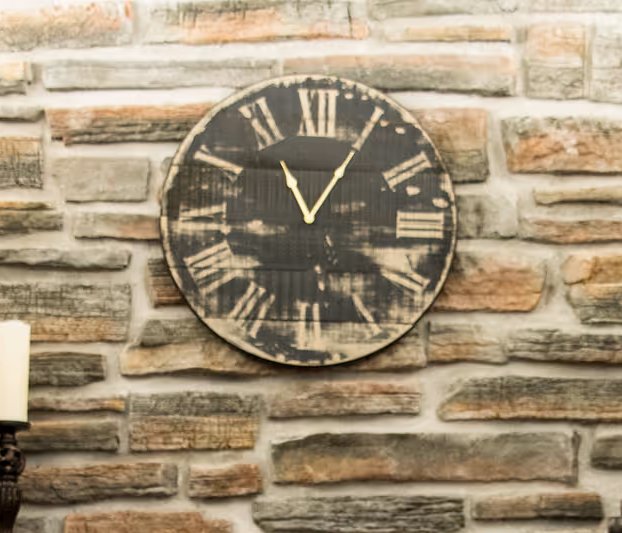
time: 11:04
